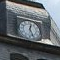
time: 12:26
